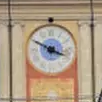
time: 3:49
